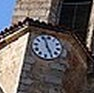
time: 4:56
